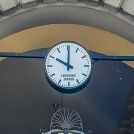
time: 10:00
